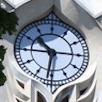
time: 10:31
